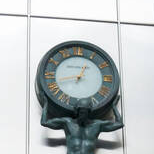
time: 12:42
